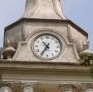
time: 10:35
